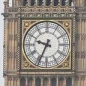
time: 9:34
